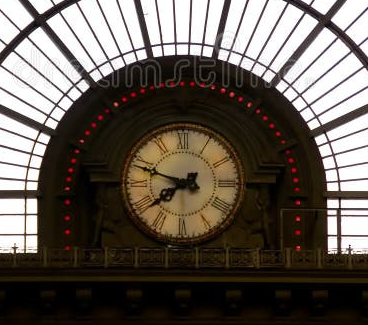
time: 7:48
